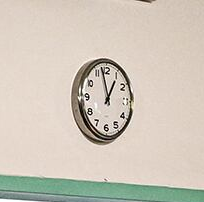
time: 12:57
